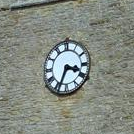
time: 3:33
